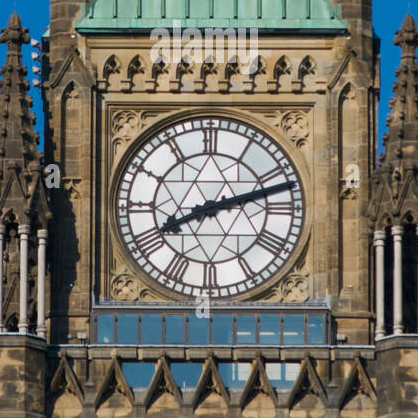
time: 8:12
